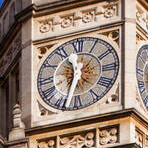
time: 11:32
